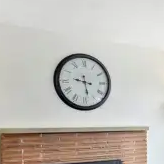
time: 9:28
